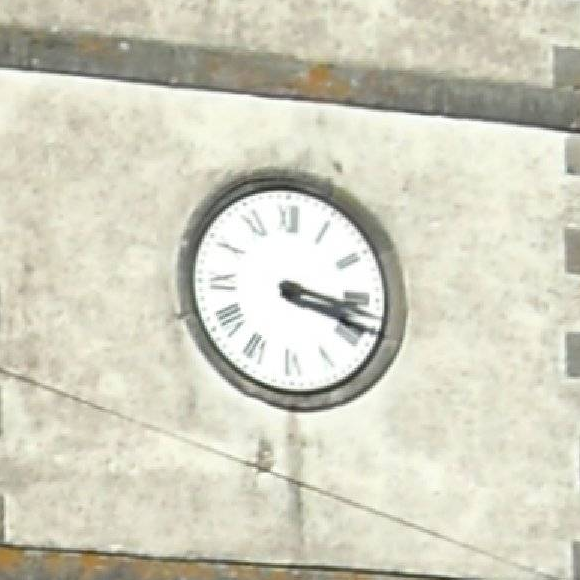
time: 3:18
